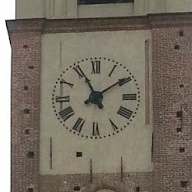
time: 11:09
